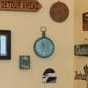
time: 11:32
